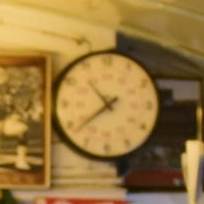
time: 10:38
